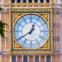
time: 12:39
